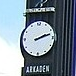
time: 2:12
